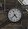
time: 4:37
